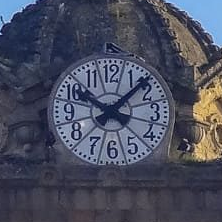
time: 10:07
